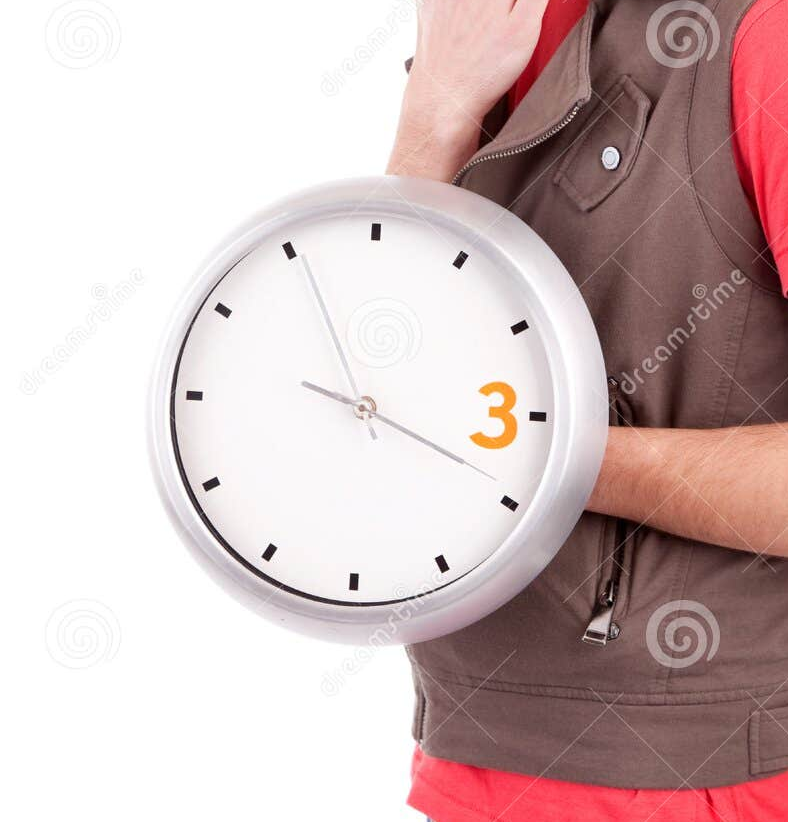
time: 3:55
